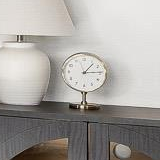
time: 1:14
